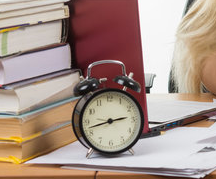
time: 2:42
